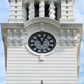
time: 11:04
